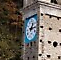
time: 1:13
